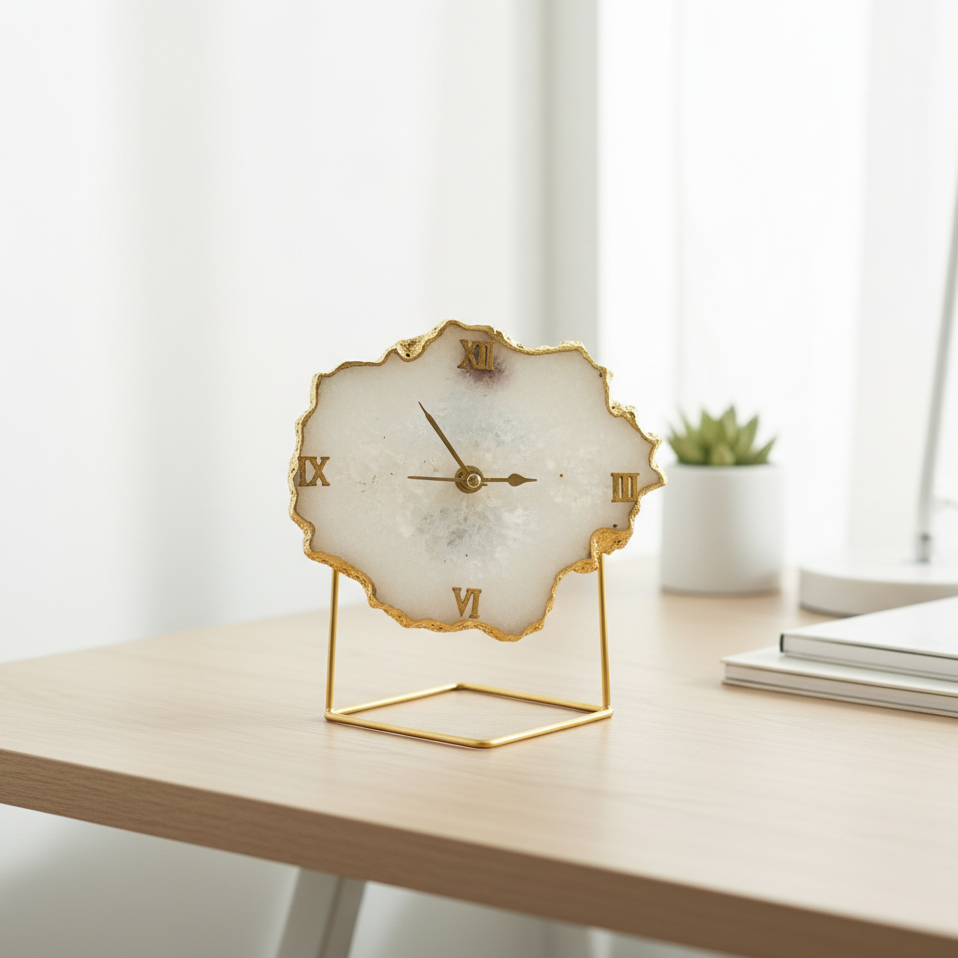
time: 2:54
